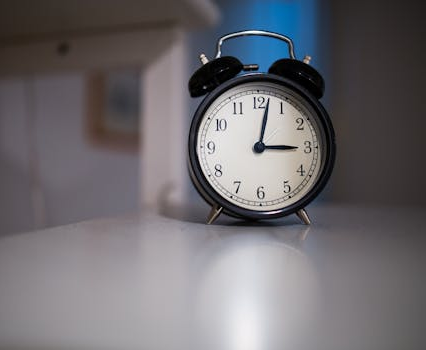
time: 3:02
